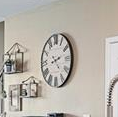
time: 2:23
